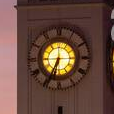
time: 6:34
